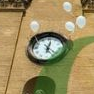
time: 12:23
